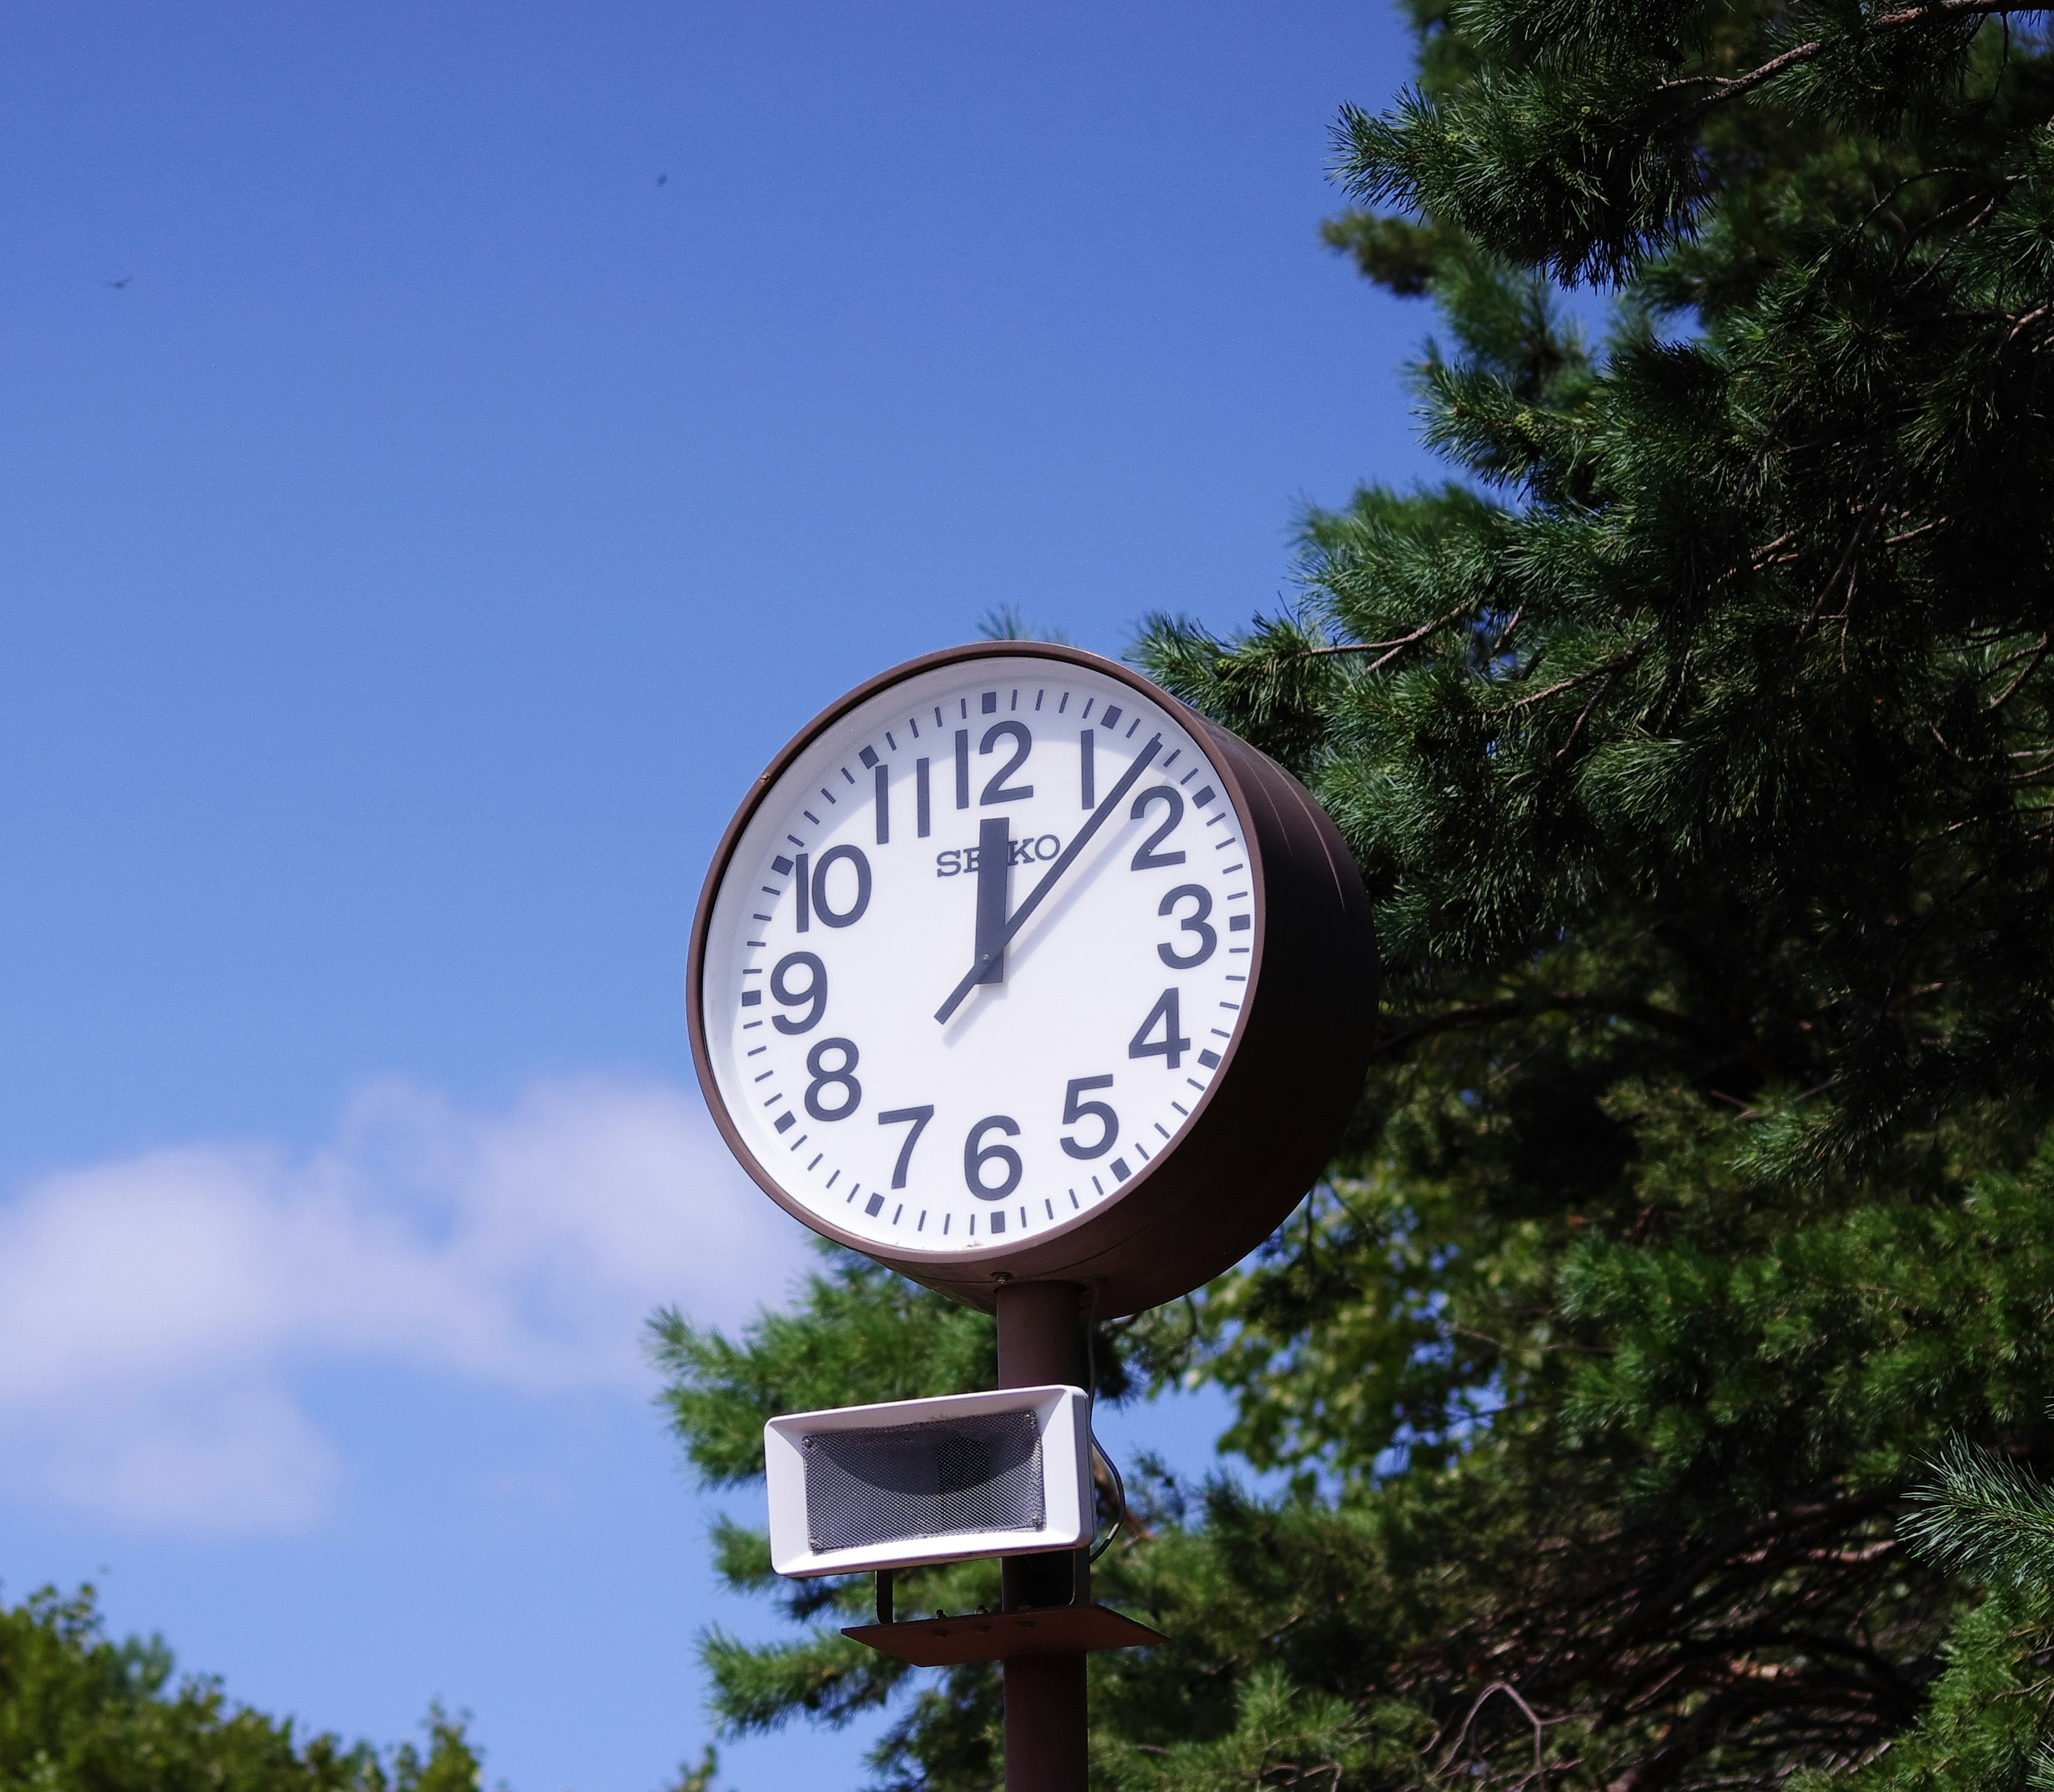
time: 12:07
